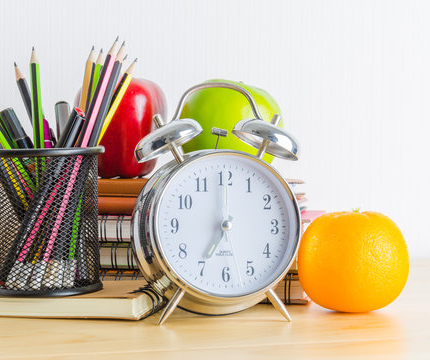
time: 7:00
